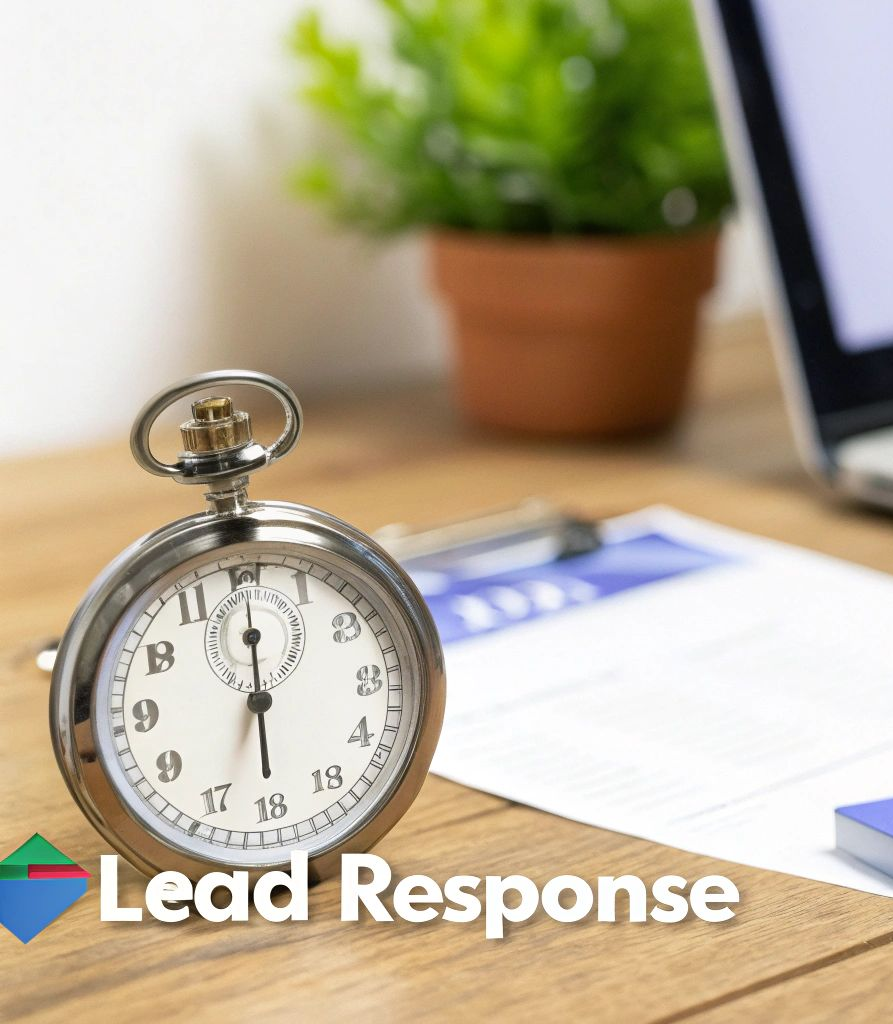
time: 6:00
